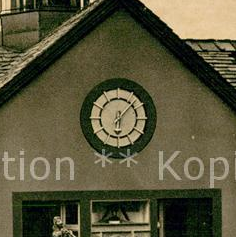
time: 6:07
